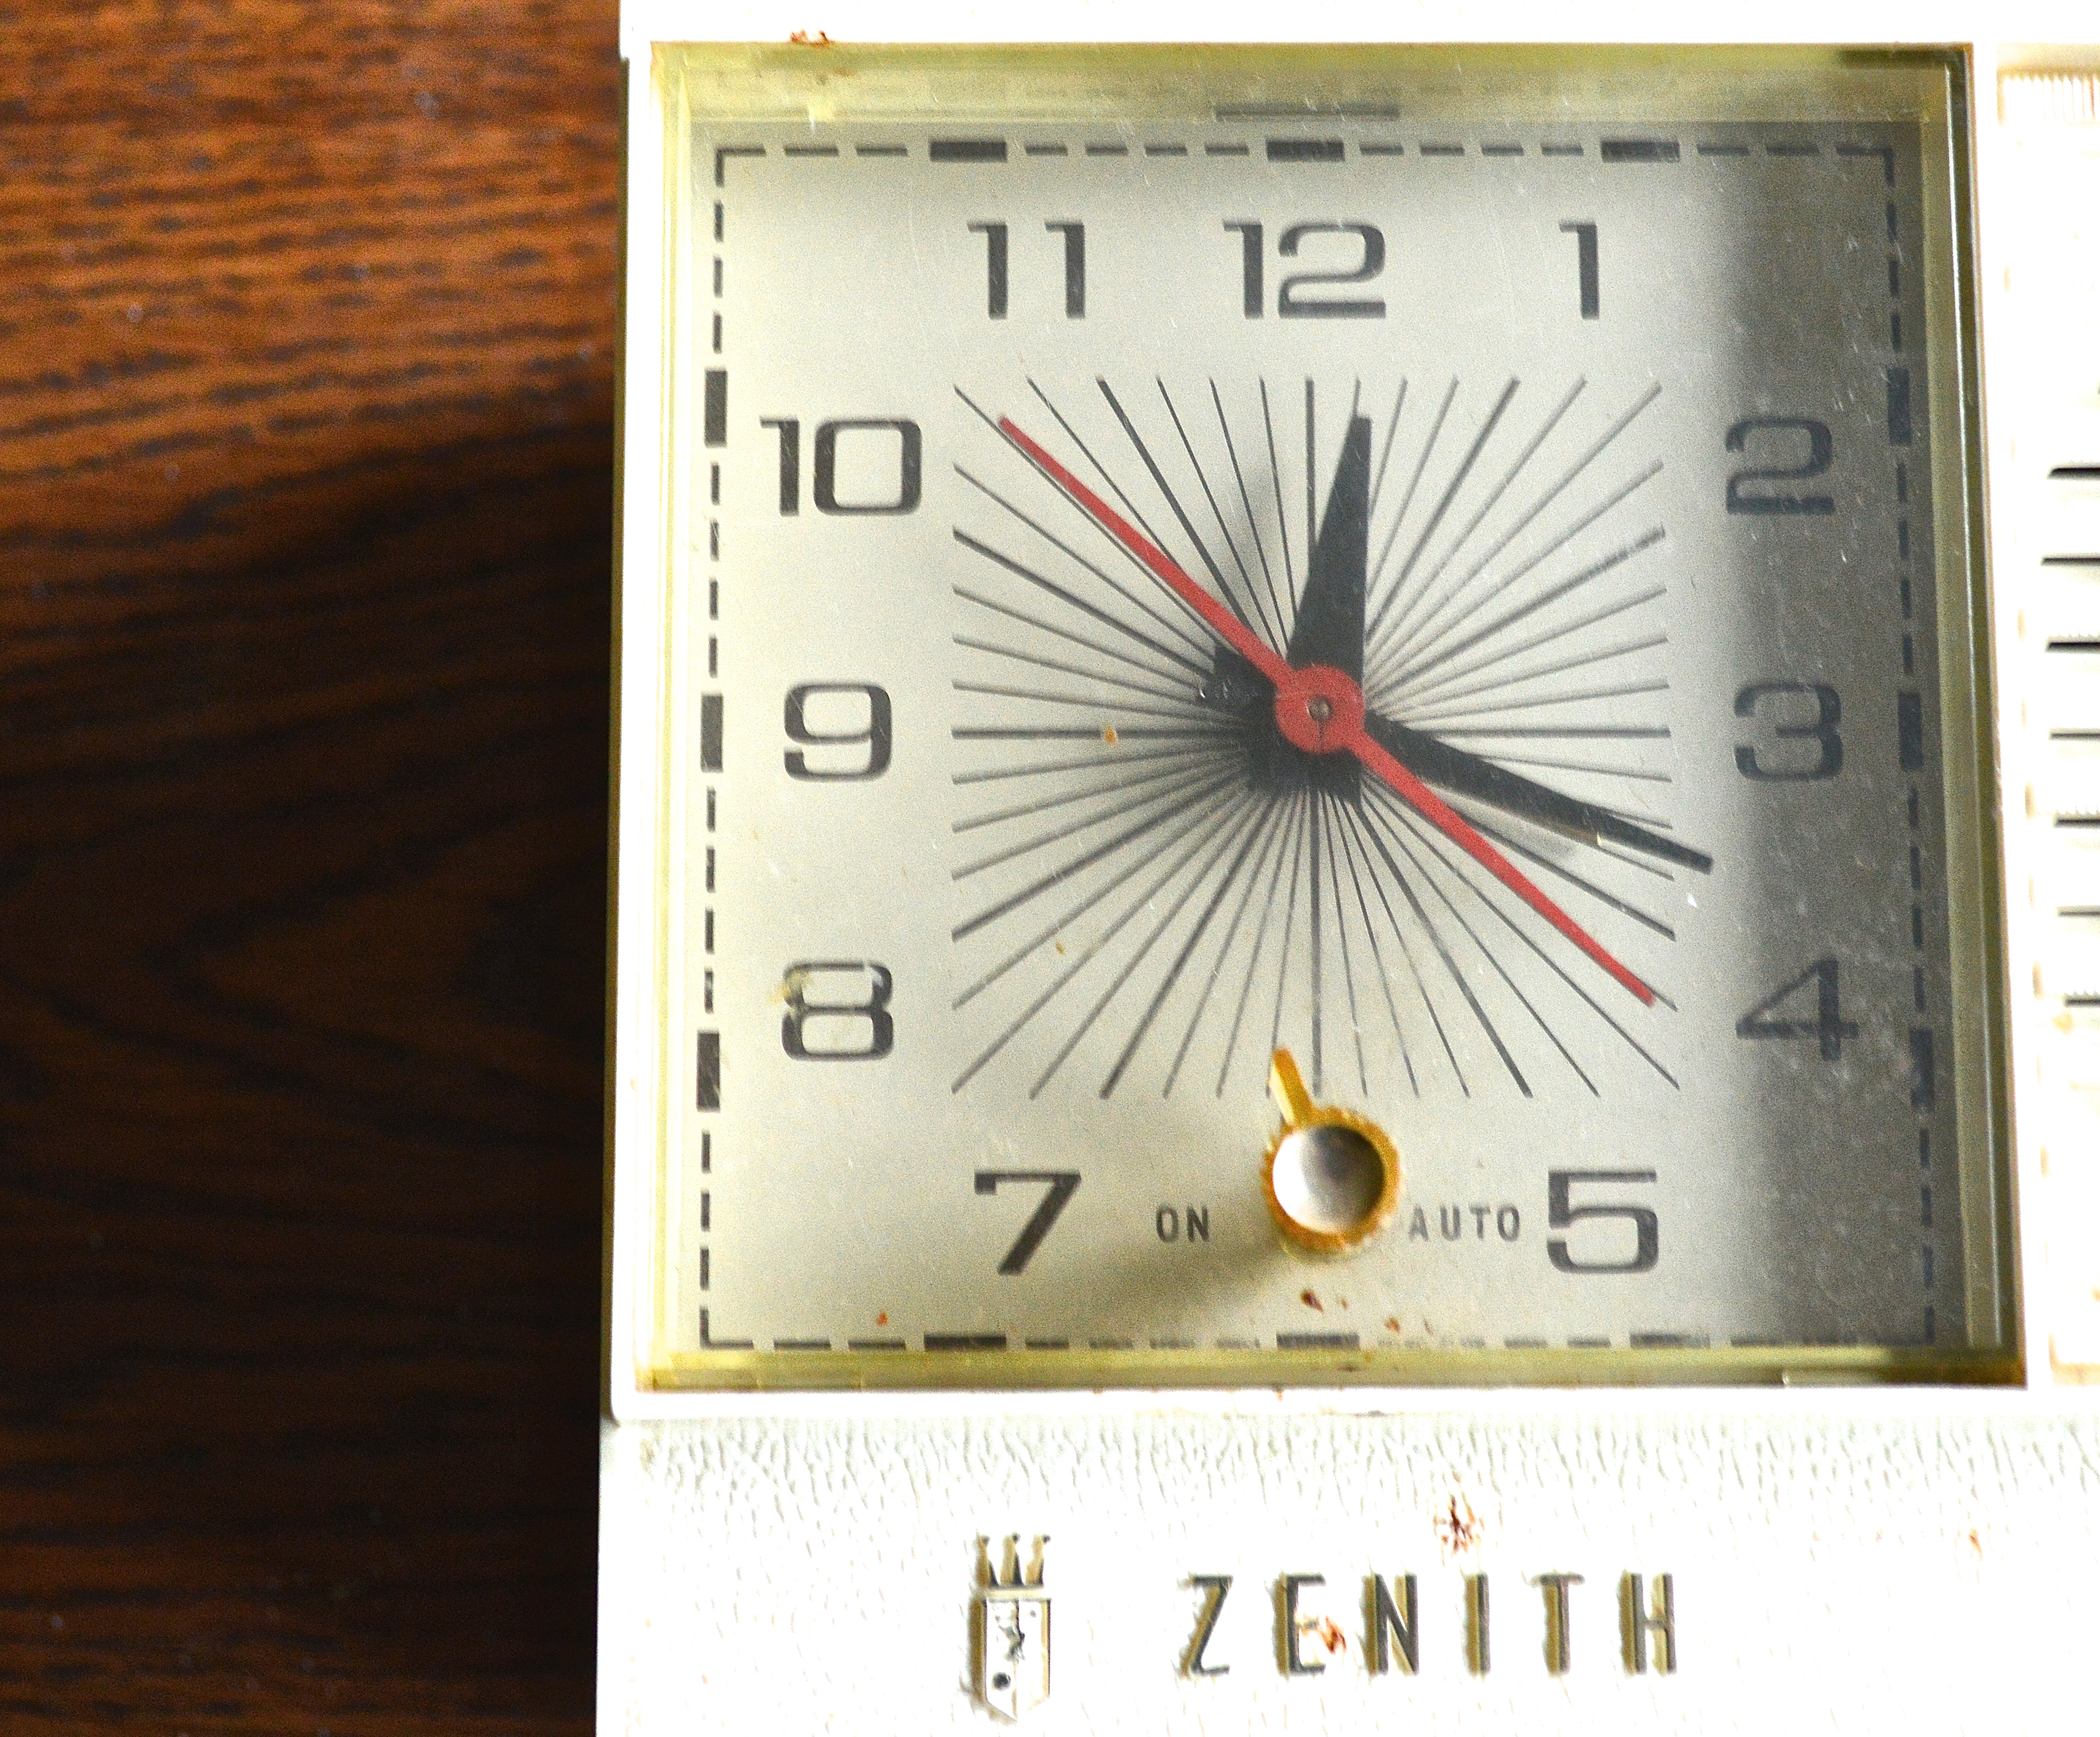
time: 12:17
